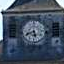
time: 5:40
